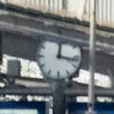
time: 12:16
